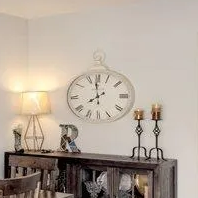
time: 7:59
